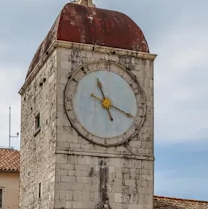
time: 11:18
